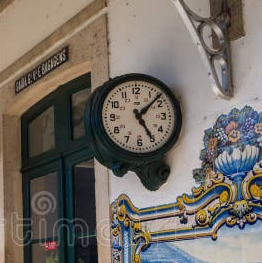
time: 5:07
